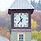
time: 11:36
